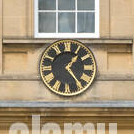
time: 1:23
